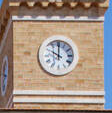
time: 10:00
